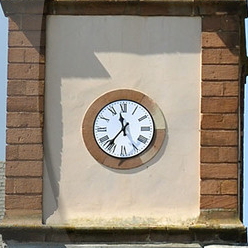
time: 11:36
